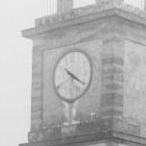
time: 10:20
